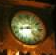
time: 2:42
